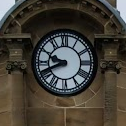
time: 9:41
